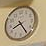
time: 8:24
